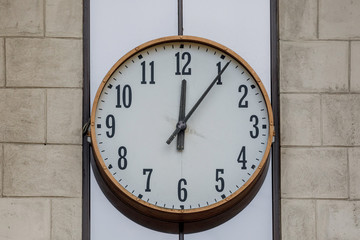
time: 12:05
